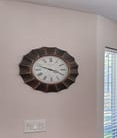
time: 3:48
